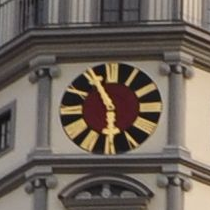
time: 5:55
